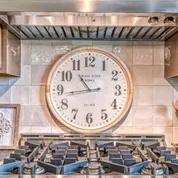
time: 10:43
